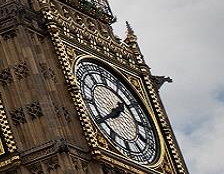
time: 1:39
